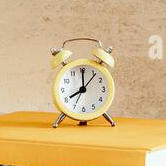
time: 8:00
